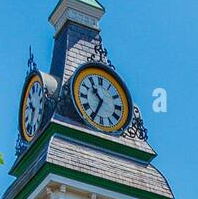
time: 10:34
